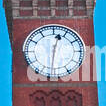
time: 12:30
